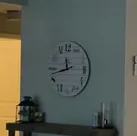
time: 11:42
